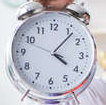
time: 4:06
